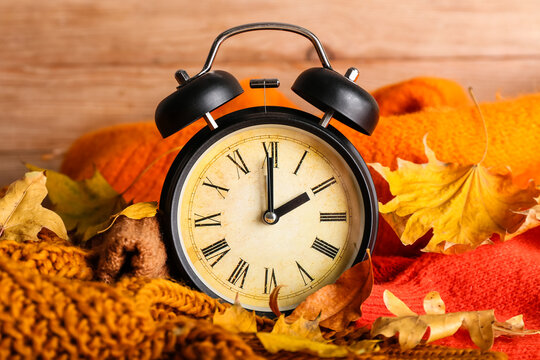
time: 2:00
